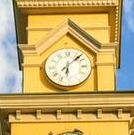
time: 6:07
